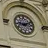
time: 9:11
